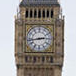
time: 2:43
